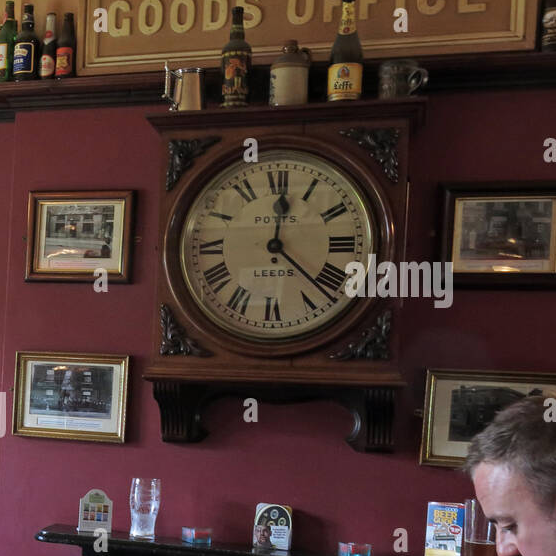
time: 12:22
